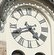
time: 4:41
